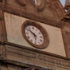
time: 5:51
